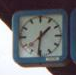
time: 1:31
